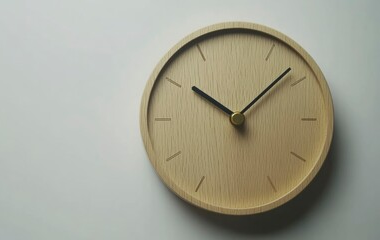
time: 10:08
